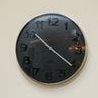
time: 10:20
